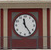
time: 11:24
